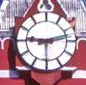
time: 9:12
